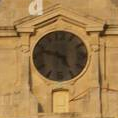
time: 4:48
